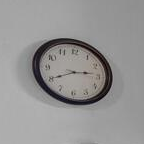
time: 2:40
